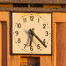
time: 6:21
